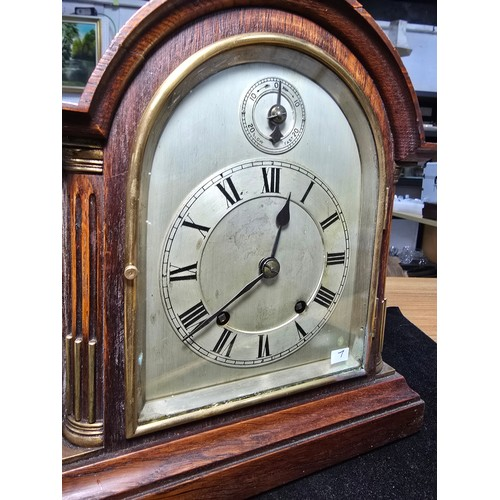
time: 12:38
